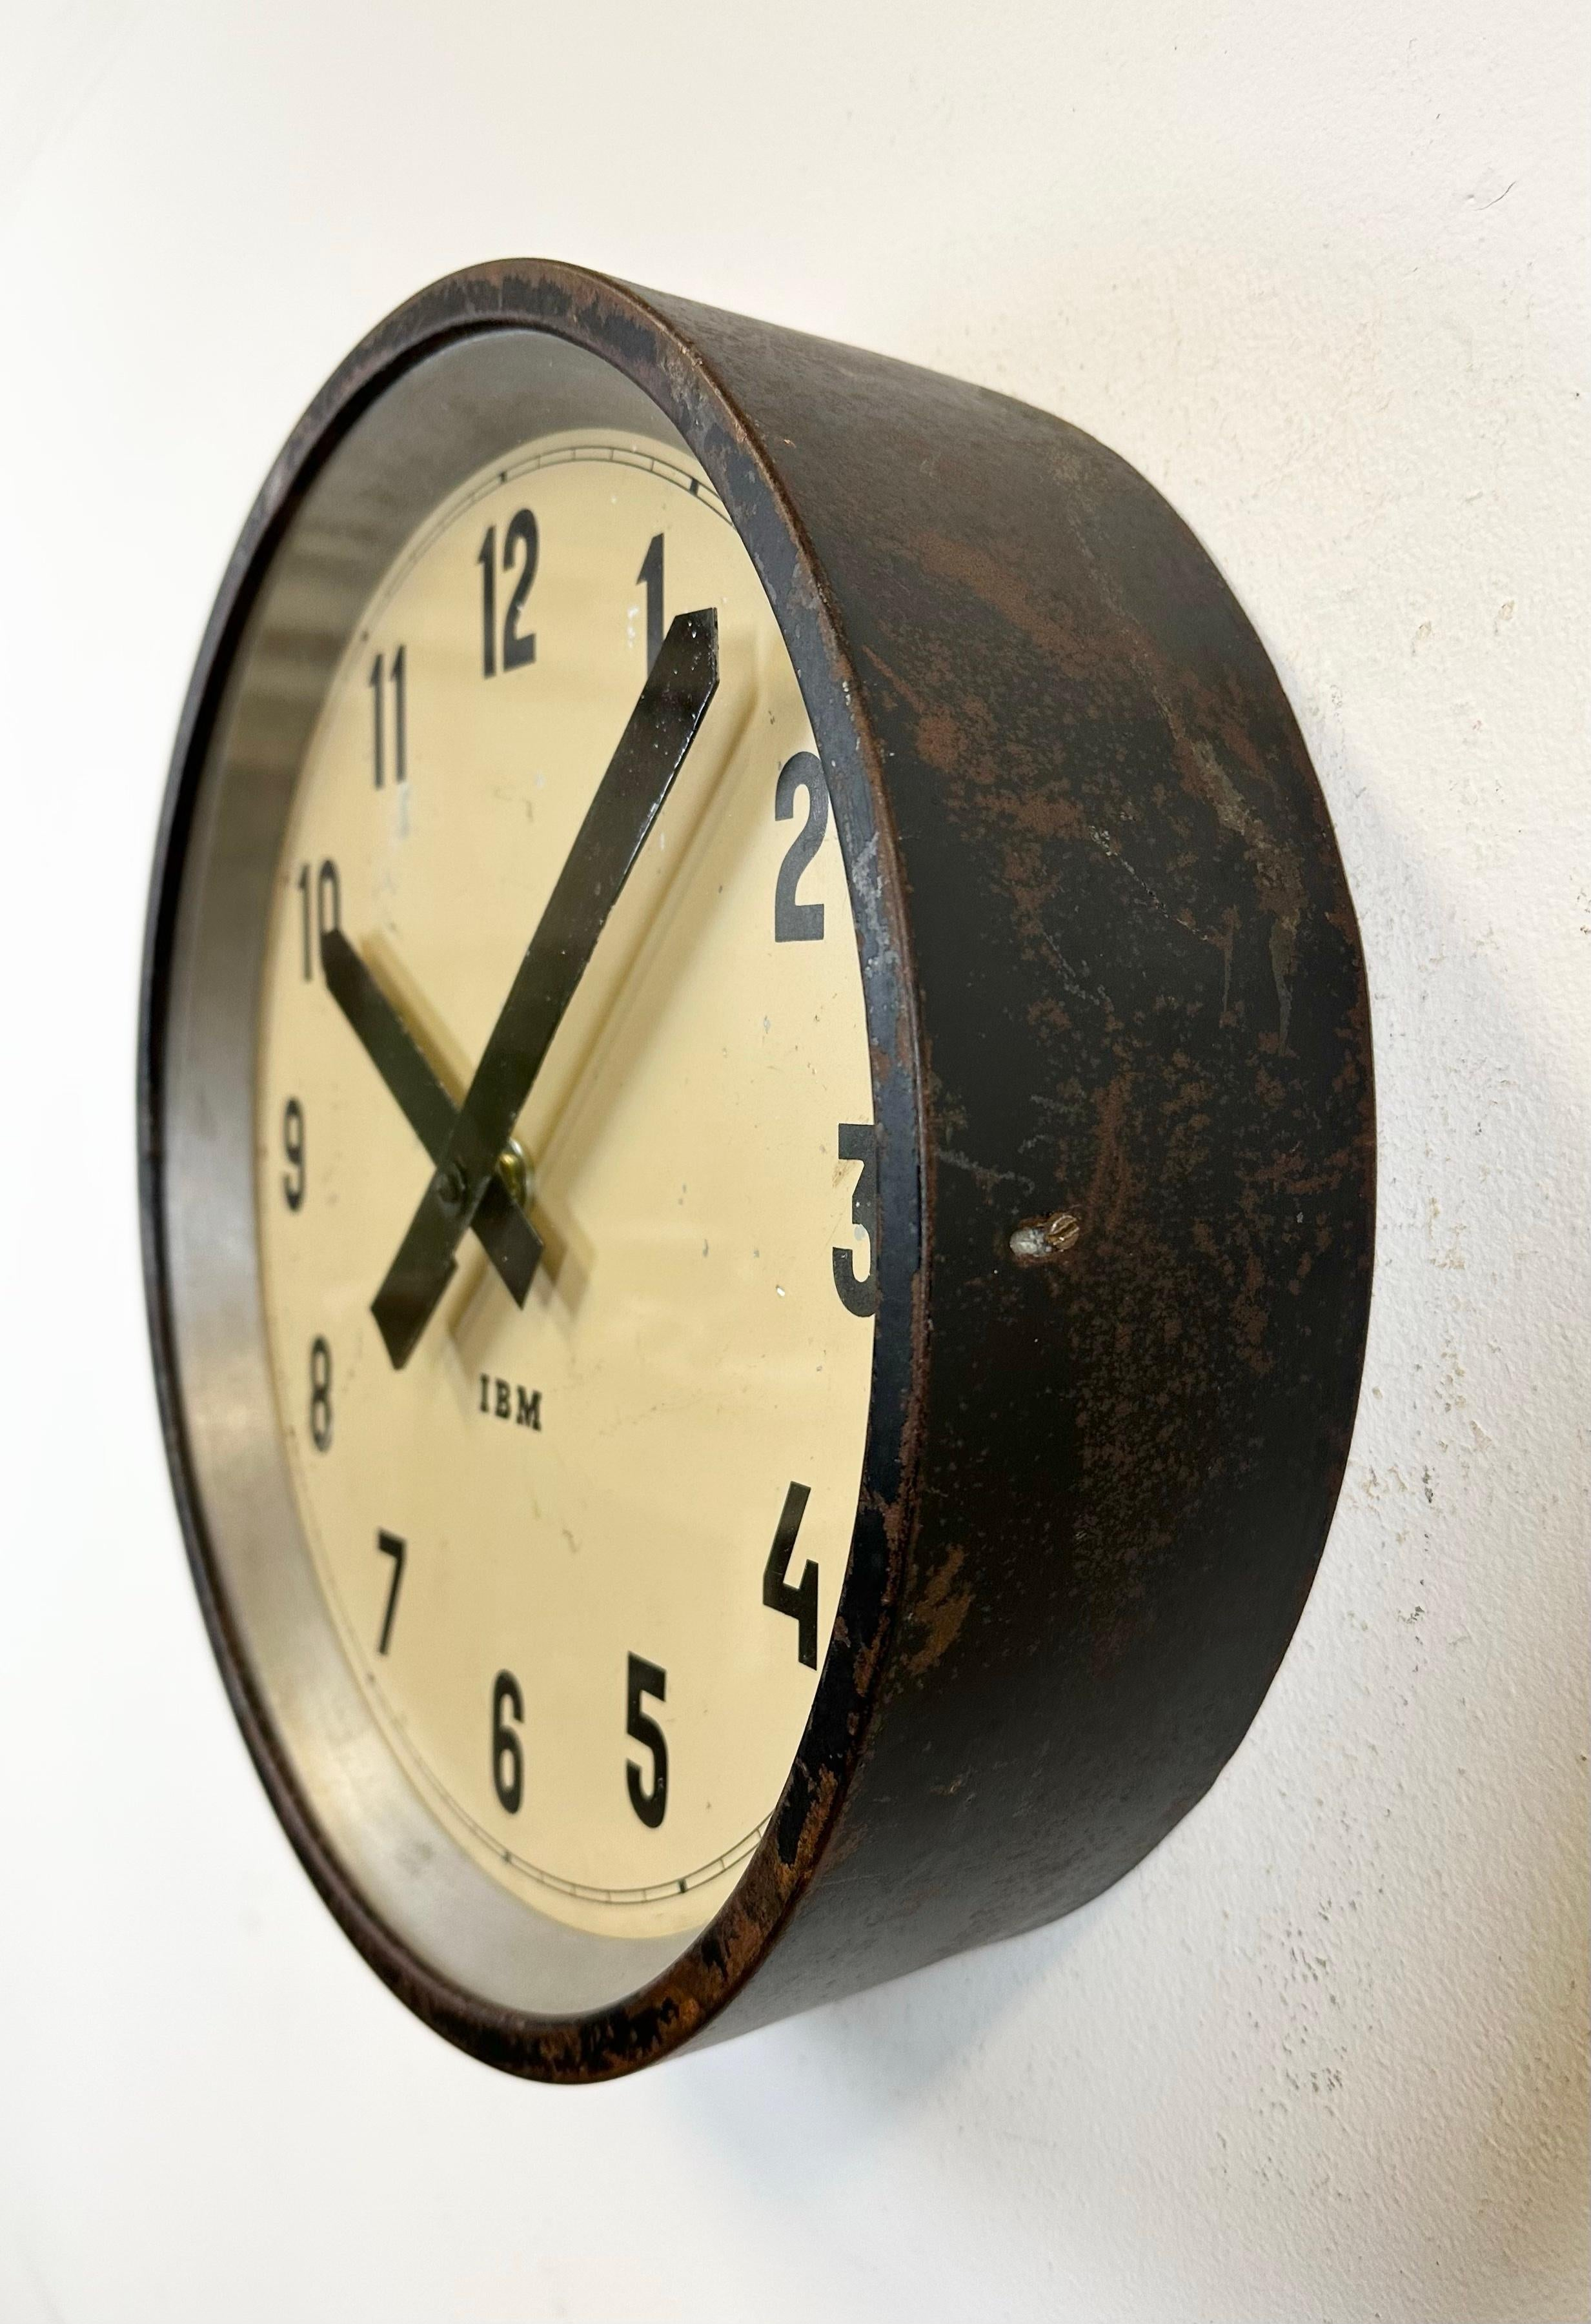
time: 10:07
